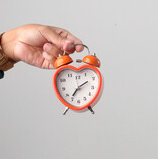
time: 7:09
